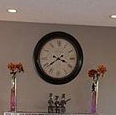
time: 3:39
